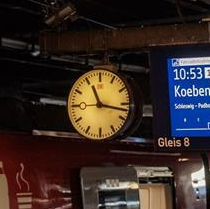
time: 11:17
